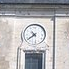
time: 10:39
